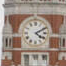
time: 4:10
